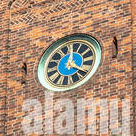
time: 12:20
